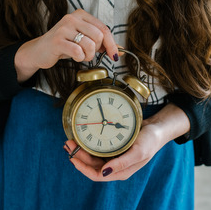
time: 2:54
